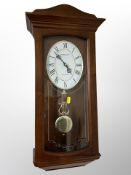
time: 3:52
